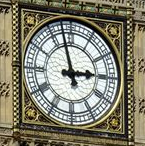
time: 2:57
